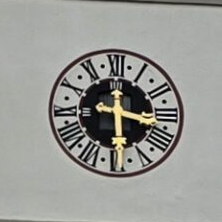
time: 3:29
